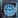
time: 1:46
